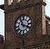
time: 11:18
